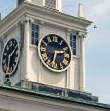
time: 2:33
